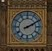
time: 2:10
